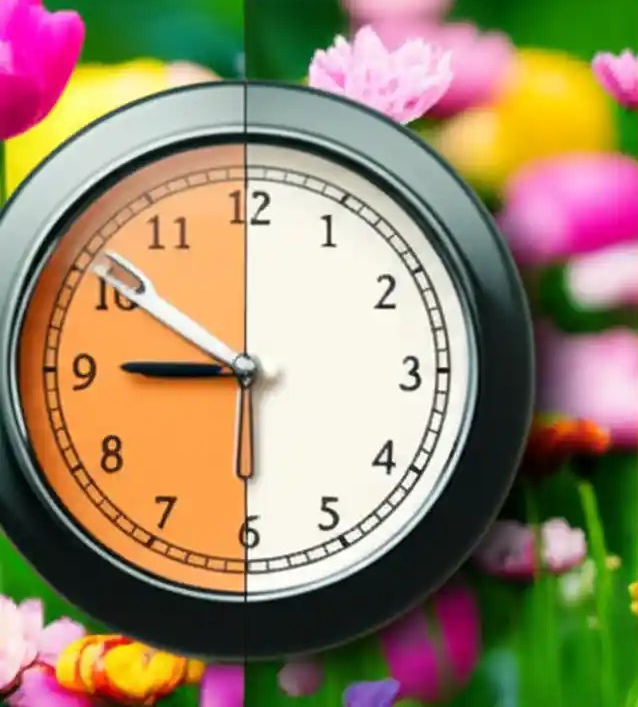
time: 8:50
